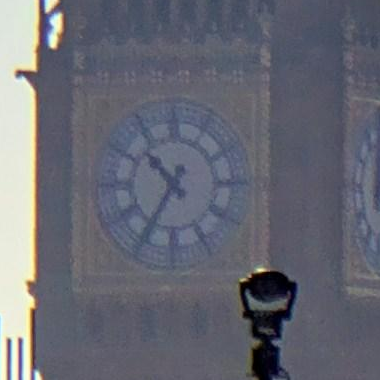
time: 10:35
